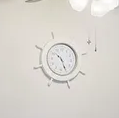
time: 10:26
